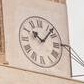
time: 10:07
